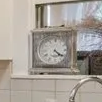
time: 4:20
